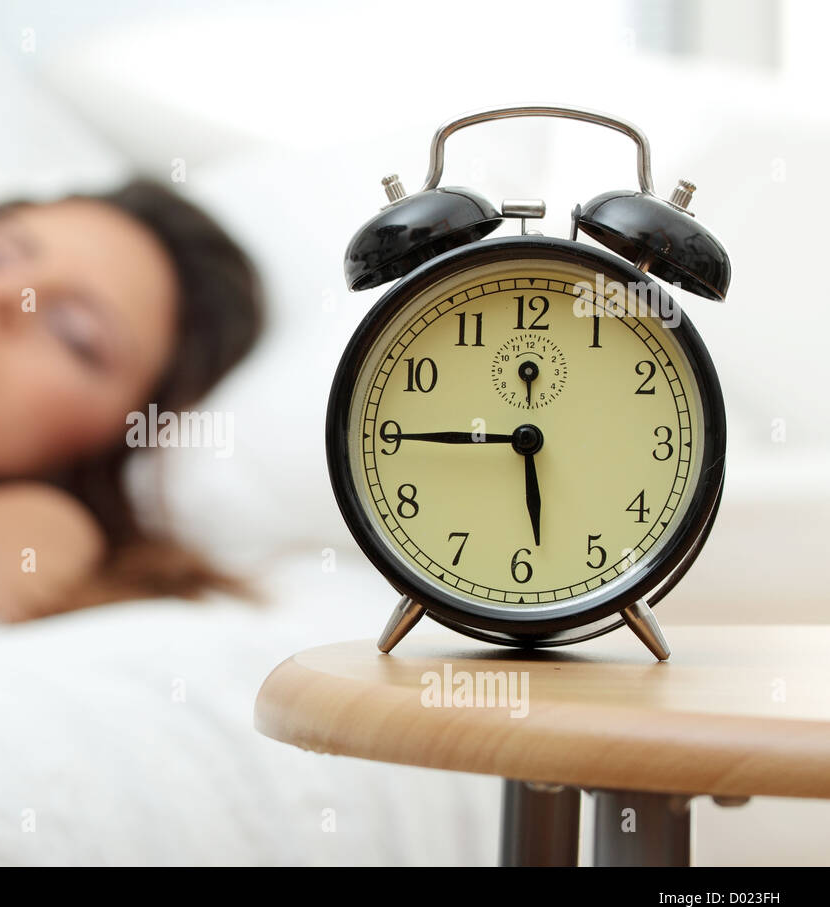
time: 5:45
